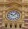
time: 10:07
